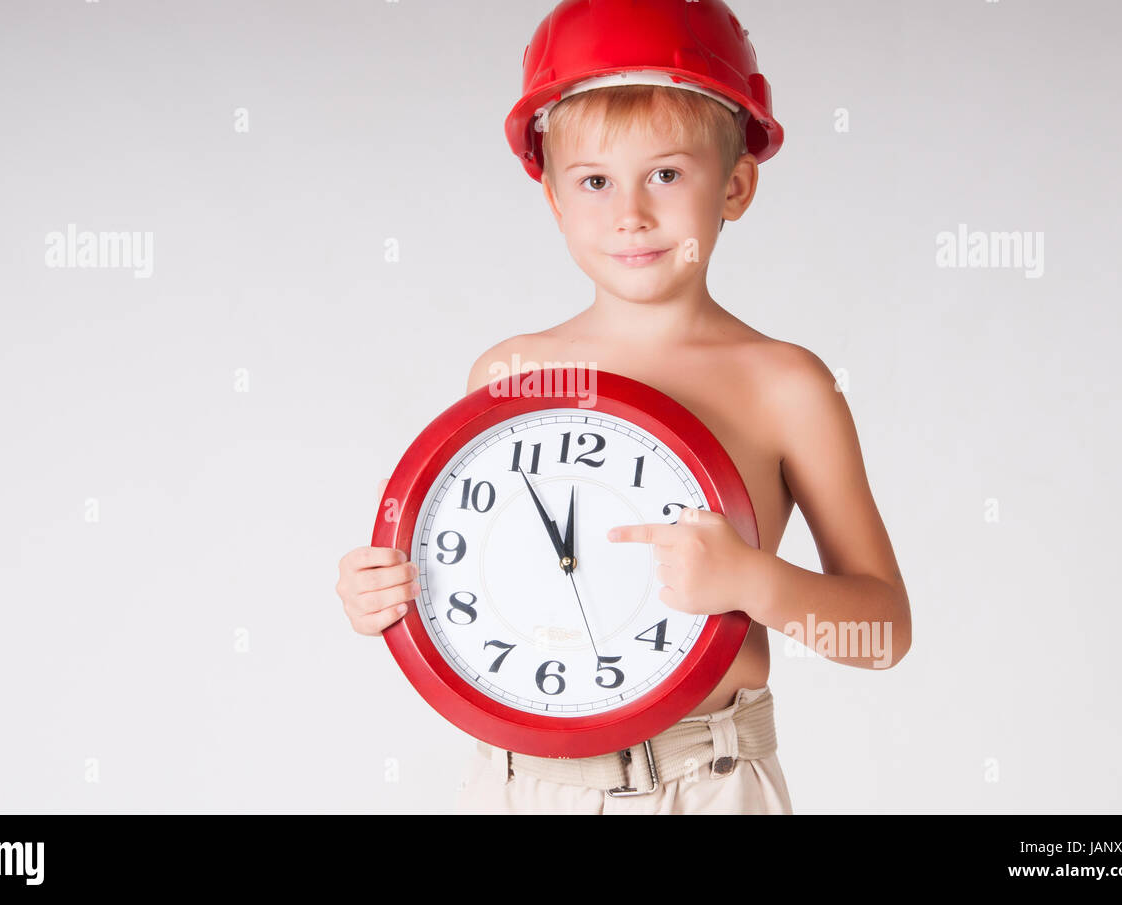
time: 11:54
